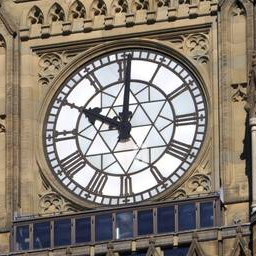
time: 10:00
